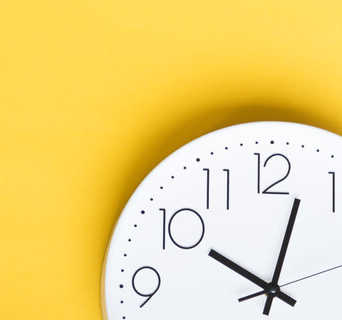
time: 10:02
